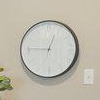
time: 12:45
